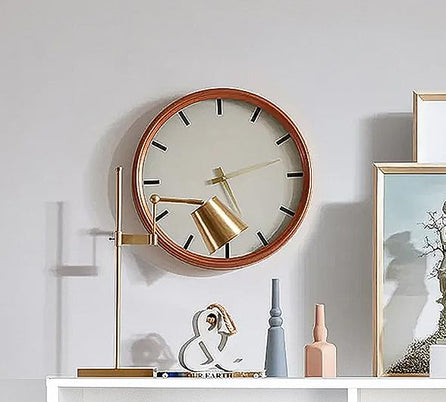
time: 5:12
